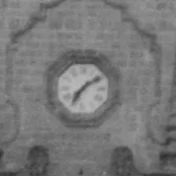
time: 7:09
